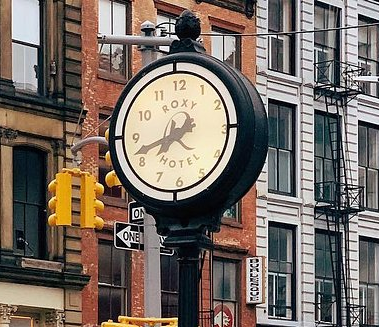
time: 7:41
